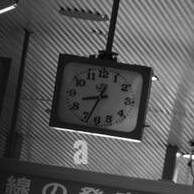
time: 8:33
